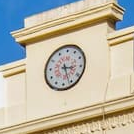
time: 3:26
